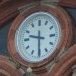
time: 9:30
